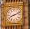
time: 8:11
